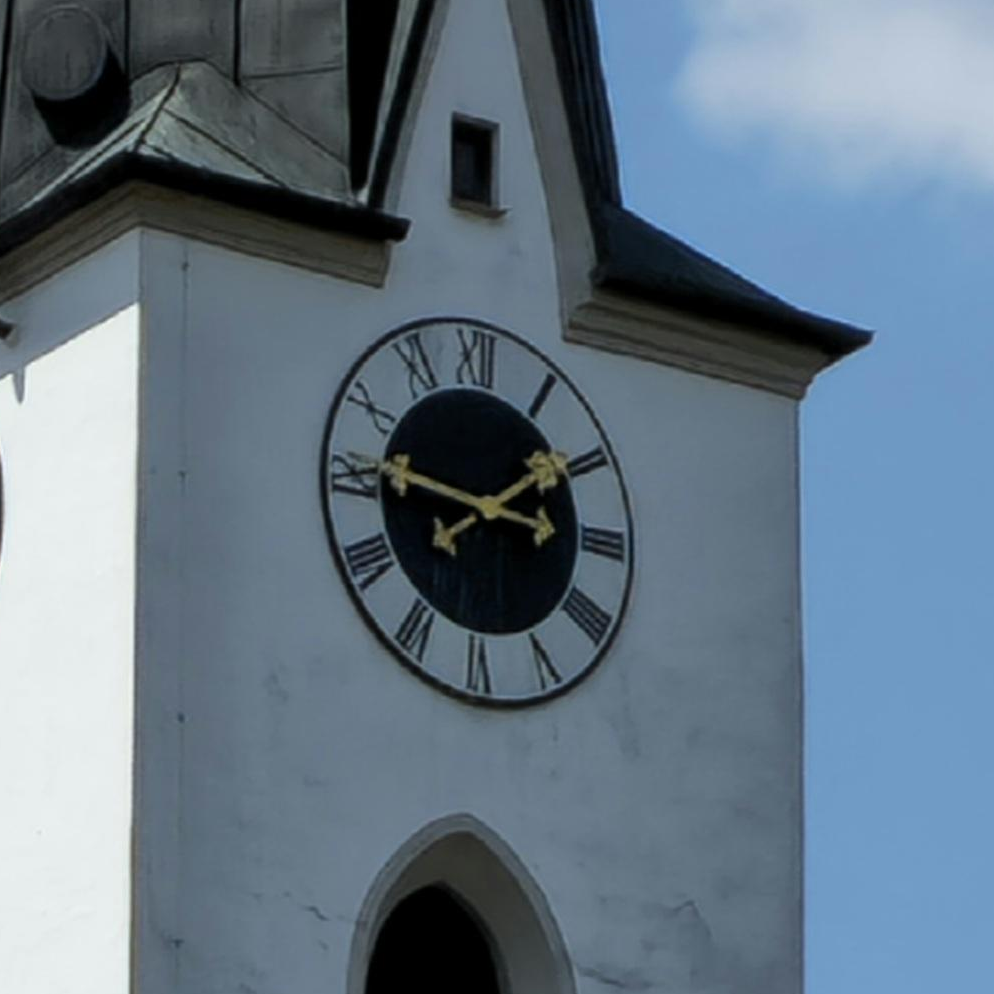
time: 1:46
